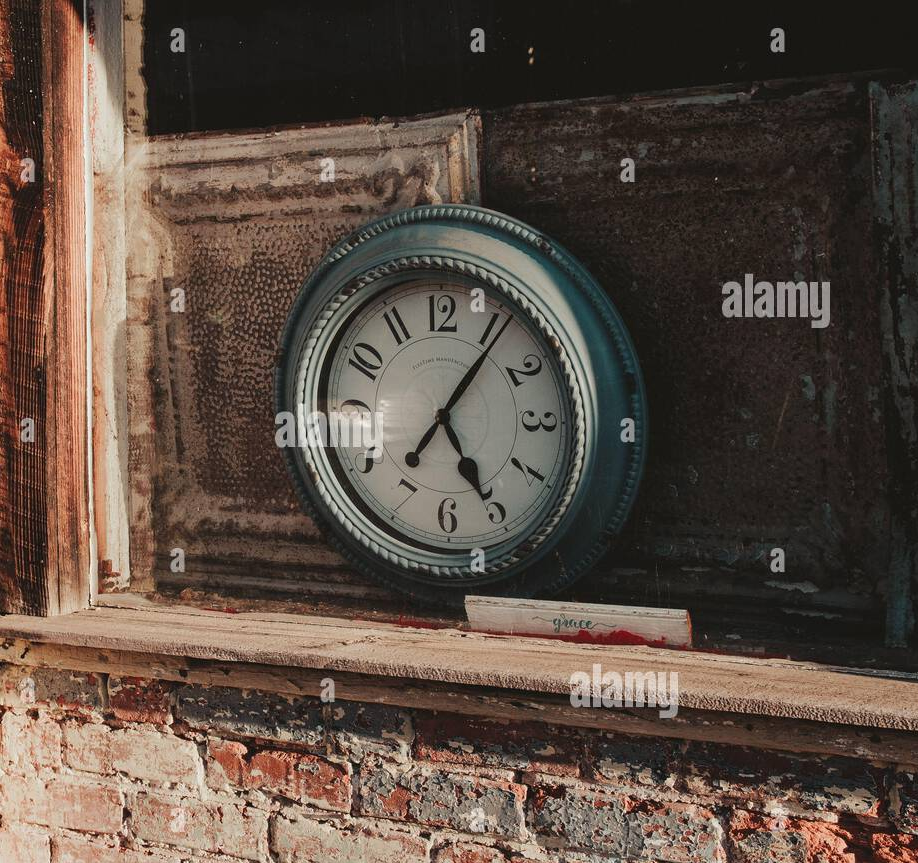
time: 5:06
